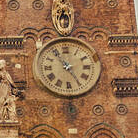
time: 4:54
